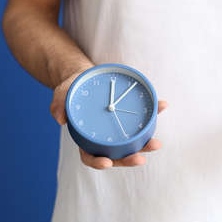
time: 12:06
